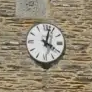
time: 4:02
